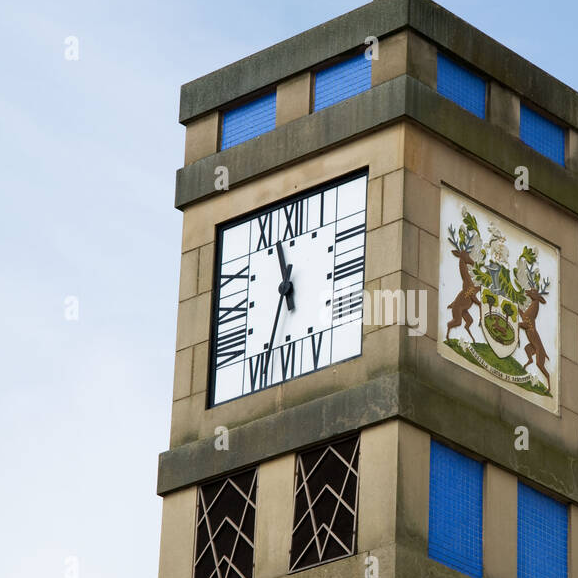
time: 11:33
